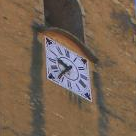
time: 9:36
